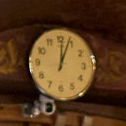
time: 12:03
